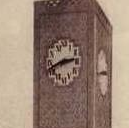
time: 2:42
